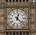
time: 12:22
